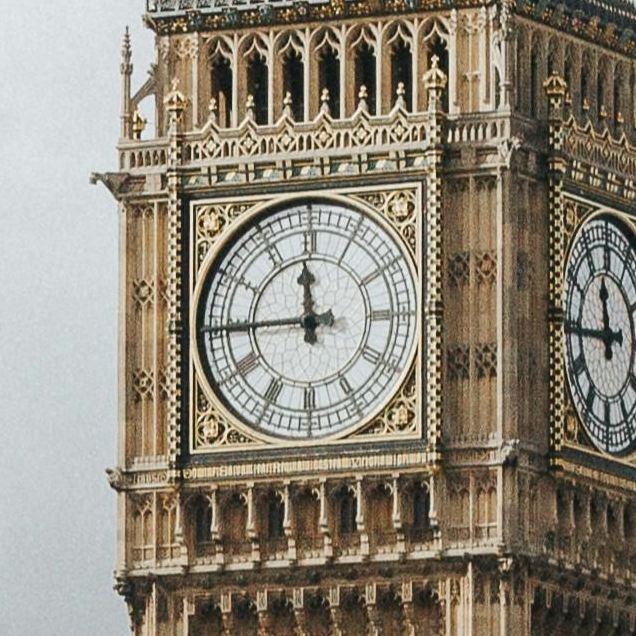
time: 11:44
